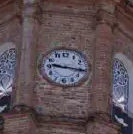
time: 9:16
